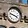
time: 3:47
